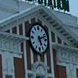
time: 5:12
